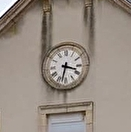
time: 3:32
